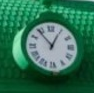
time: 12:53
